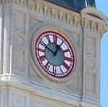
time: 12:49
